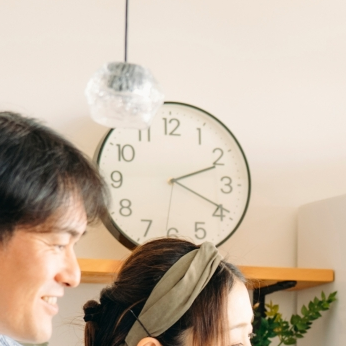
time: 2:19
